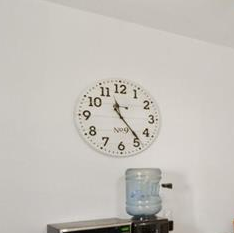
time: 11:23
